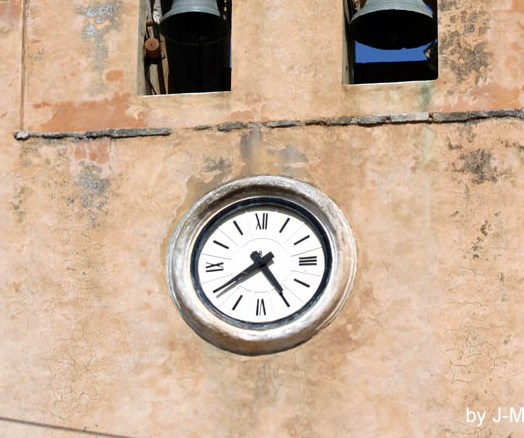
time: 4:39
